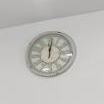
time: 12:01
